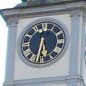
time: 5:31
